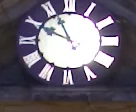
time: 9:56
